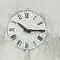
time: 10:14
